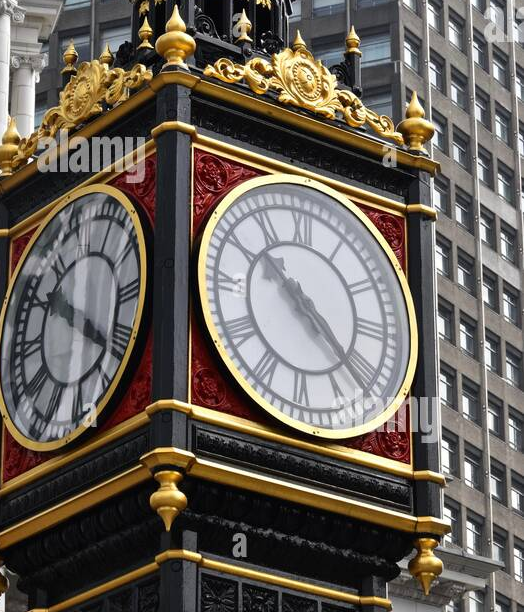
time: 10:22
